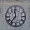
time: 11:36
